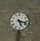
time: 5:17
